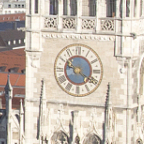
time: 9:20
